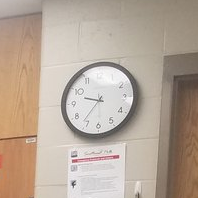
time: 9:36
